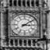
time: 3:09
